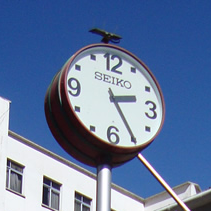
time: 2:24
